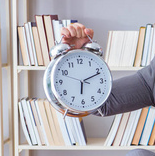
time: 6:11
